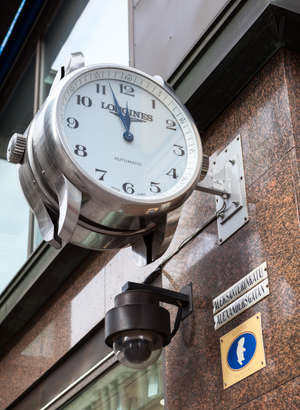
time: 11:56
